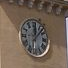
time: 12:07
